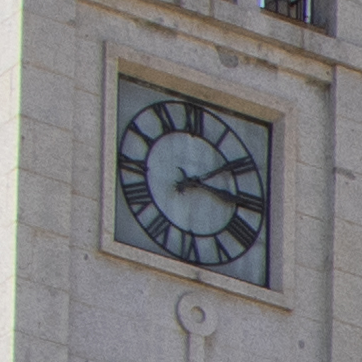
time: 3:09
